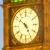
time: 4:51
